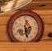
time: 12:28
